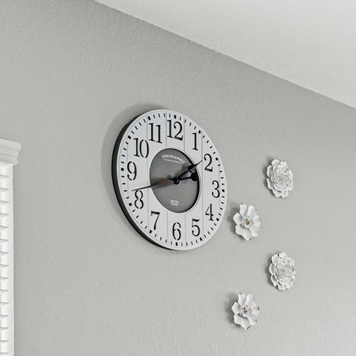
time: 1:42
